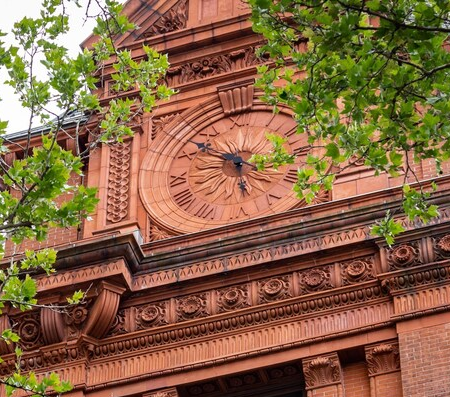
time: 5:51
